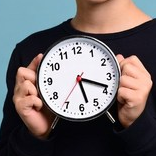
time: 5:18
